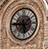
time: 5:45
